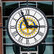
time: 2:56
